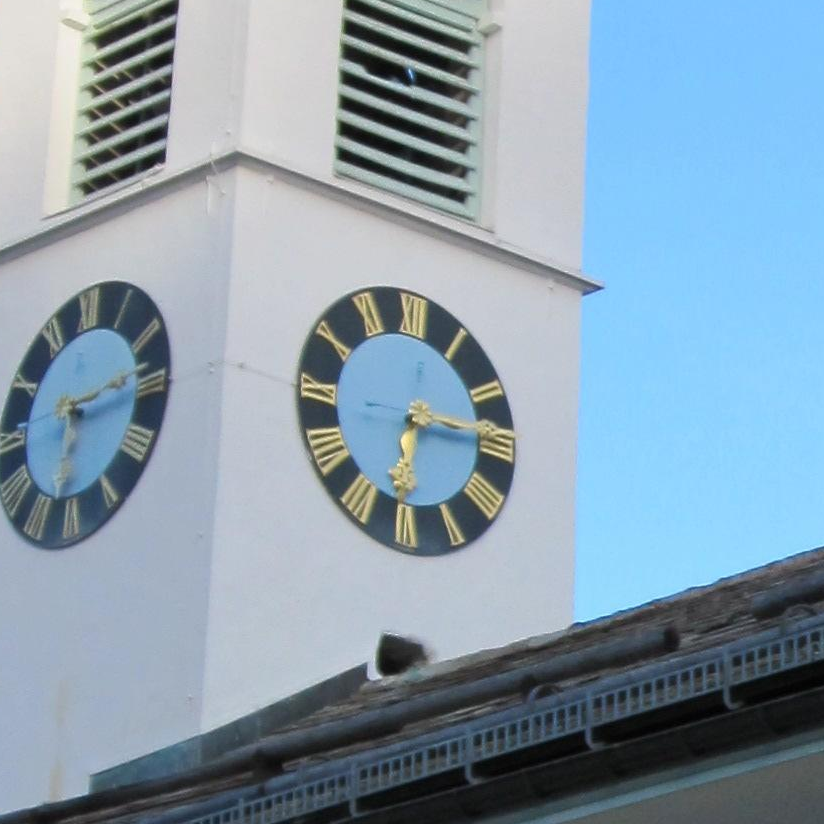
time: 6:14
